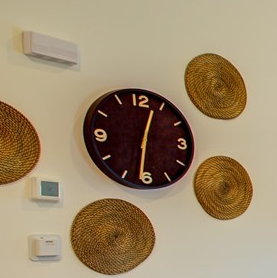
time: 12:31
